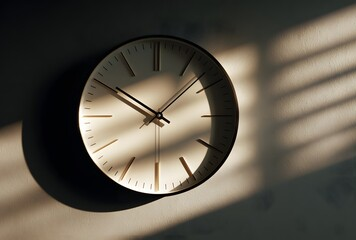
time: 10:07
